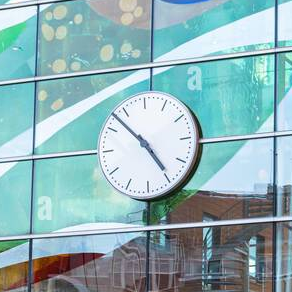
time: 4:52
